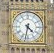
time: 4:31
